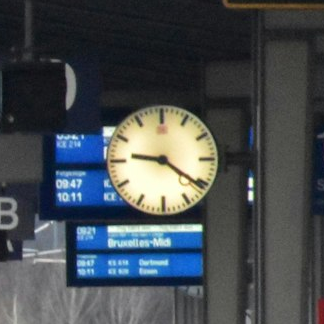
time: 9:21
